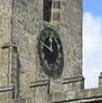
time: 11:48
